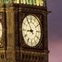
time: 8:54
